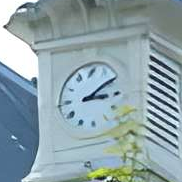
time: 3:09
